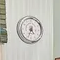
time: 4:34
